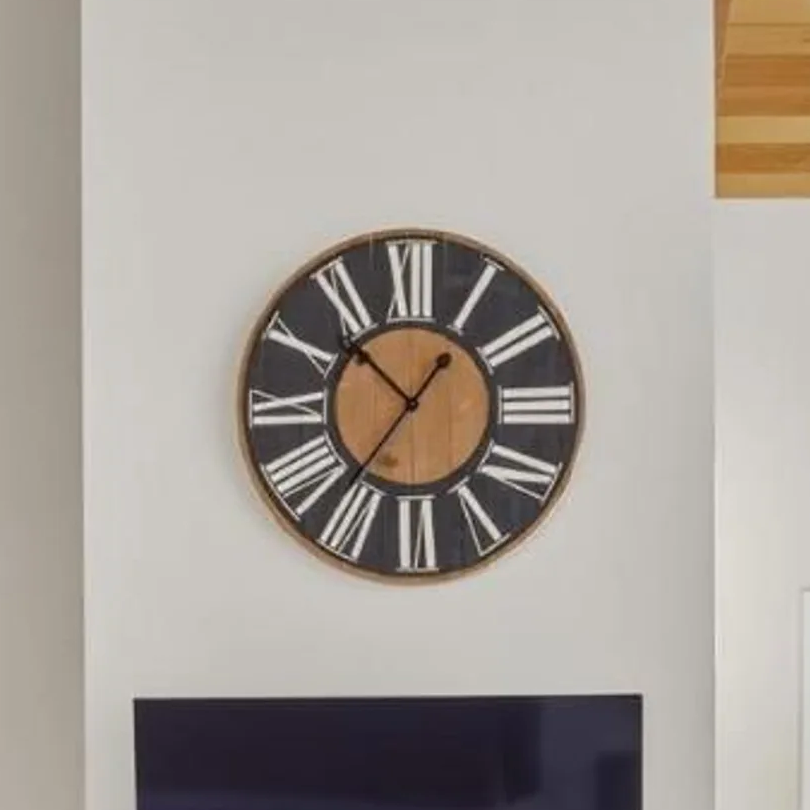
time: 10:36
